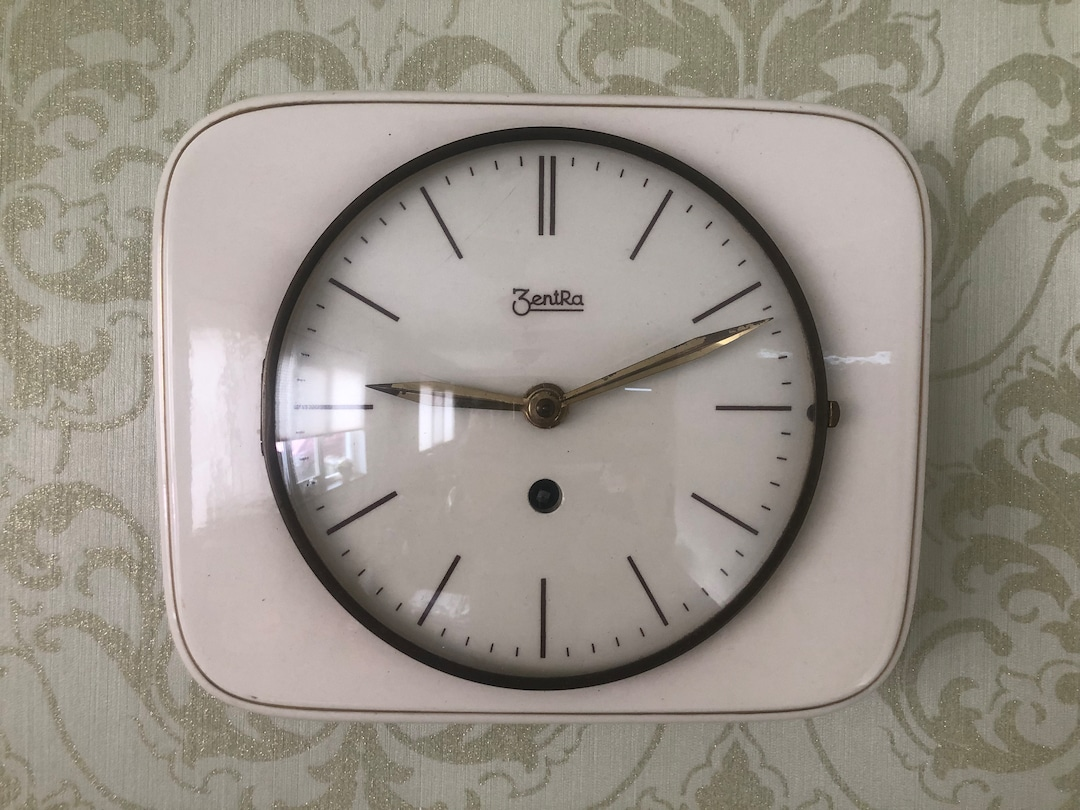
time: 9:11
